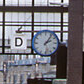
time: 2:06
